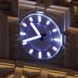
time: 10:41
